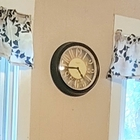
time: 4:45
